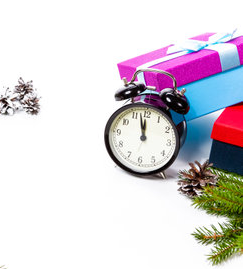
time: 11:57
